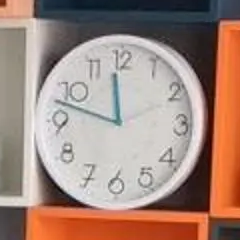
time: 11:47
